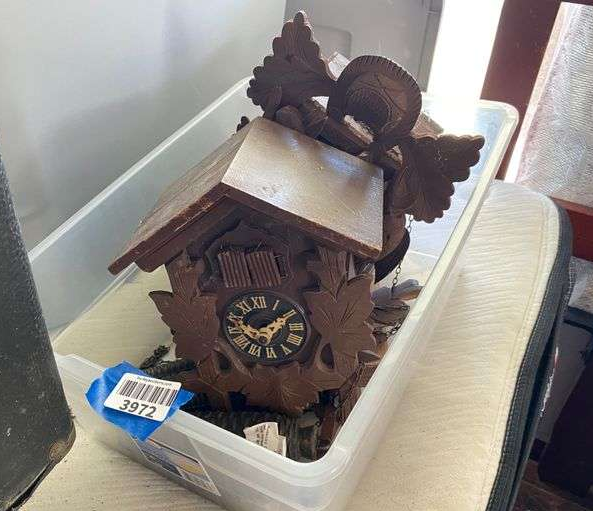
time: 8:18
